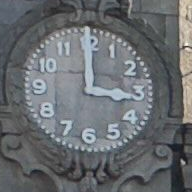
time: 3:00
